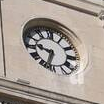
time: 9:33
